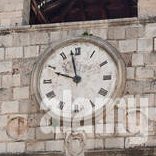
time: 9:57
